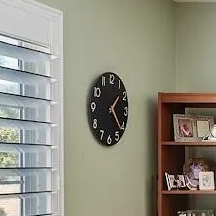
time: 1:21
